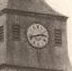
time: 2:42
